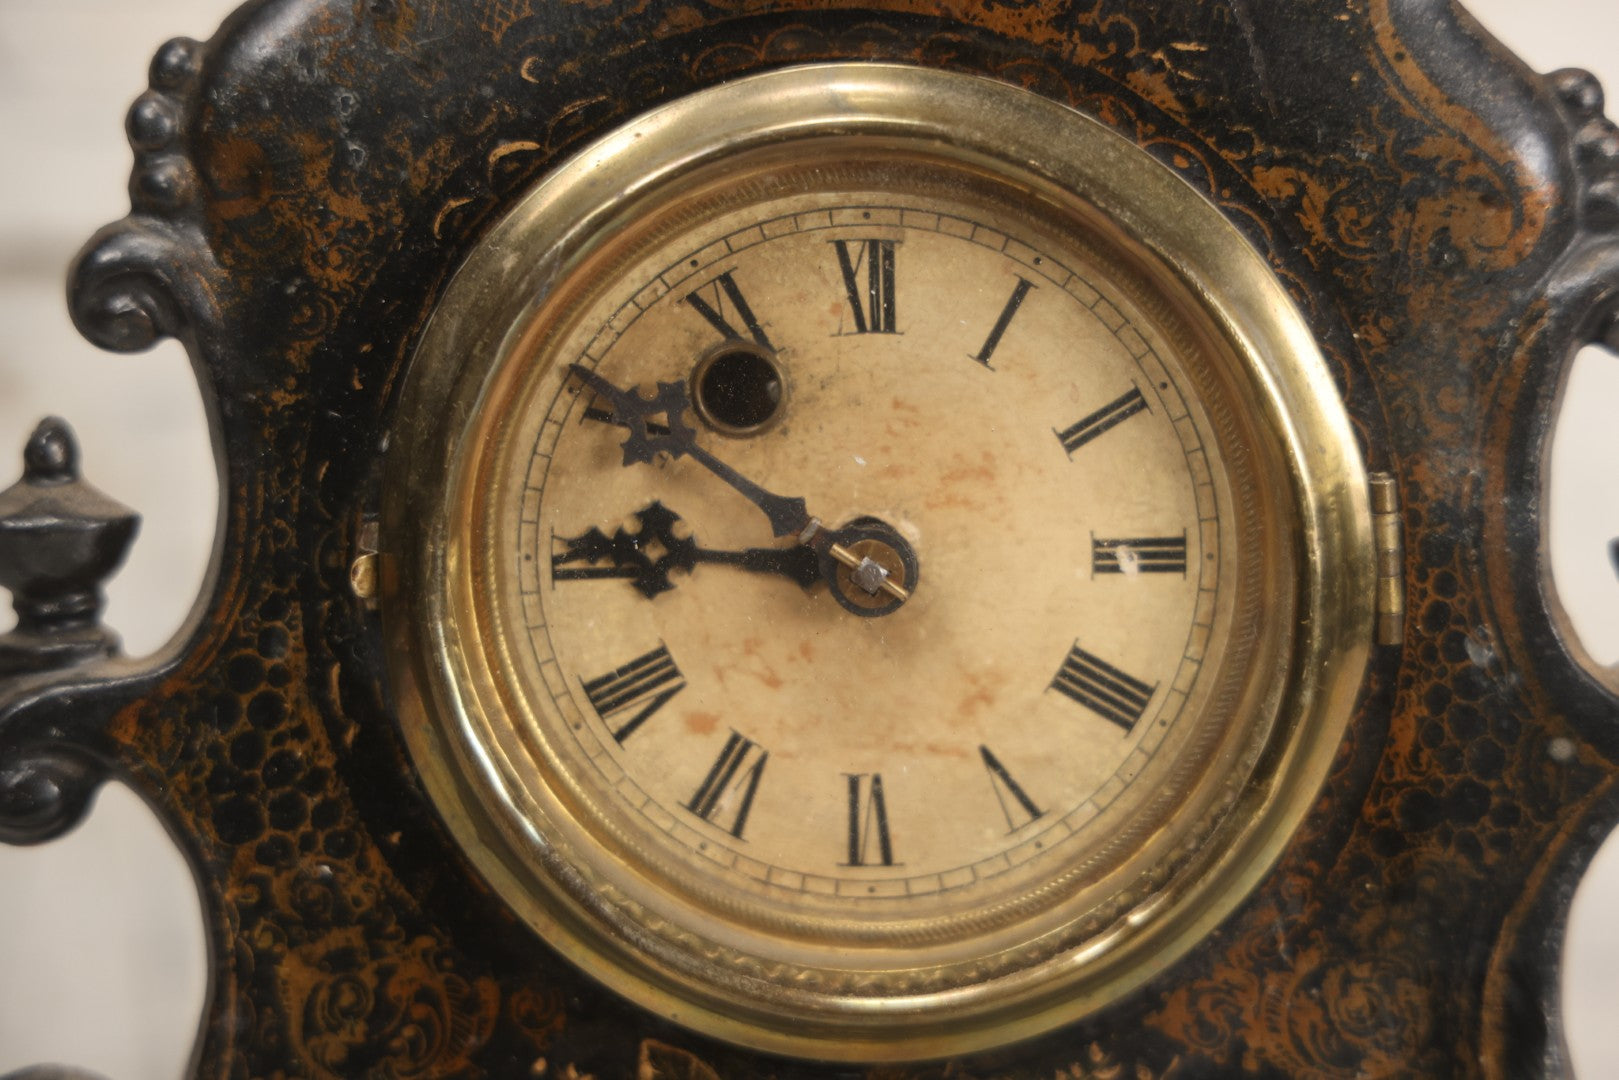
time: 8:50
